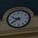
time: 9:39
